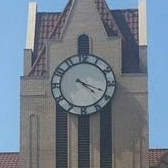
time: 4:18
